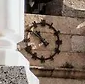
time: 10:51
